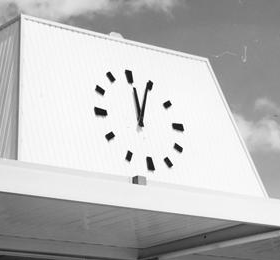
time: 12:04
